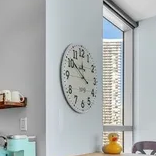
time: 3:50
